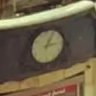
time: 3:04
